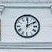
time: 12:09
